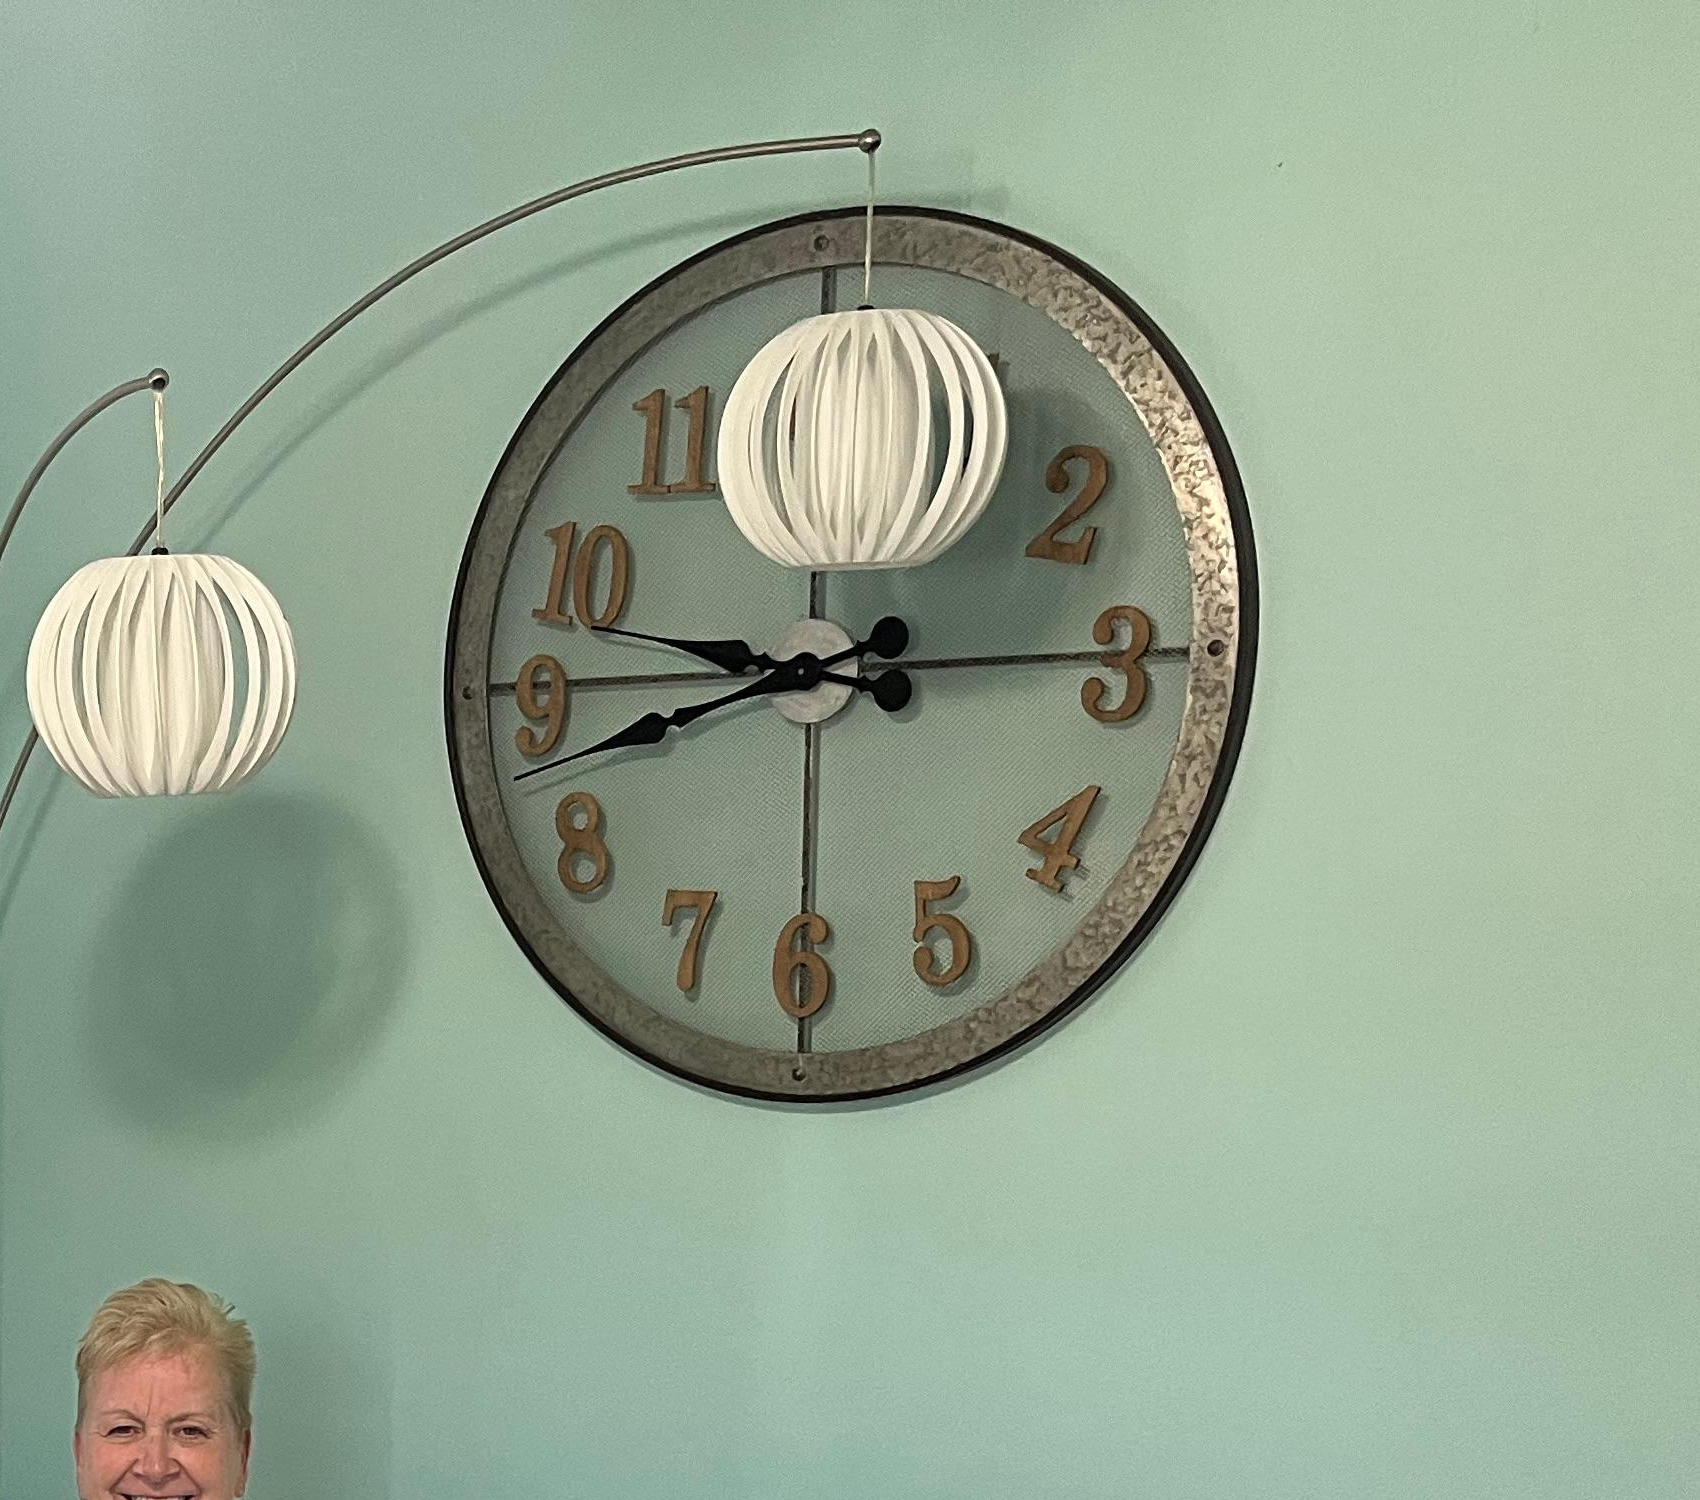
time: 9:42
